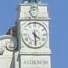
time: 4:29
